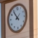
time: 8:53
